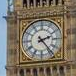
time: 2:23
